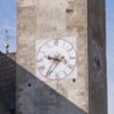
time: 9:36
